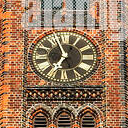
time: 6:56
